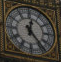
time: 12:23
